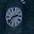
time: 2:38
